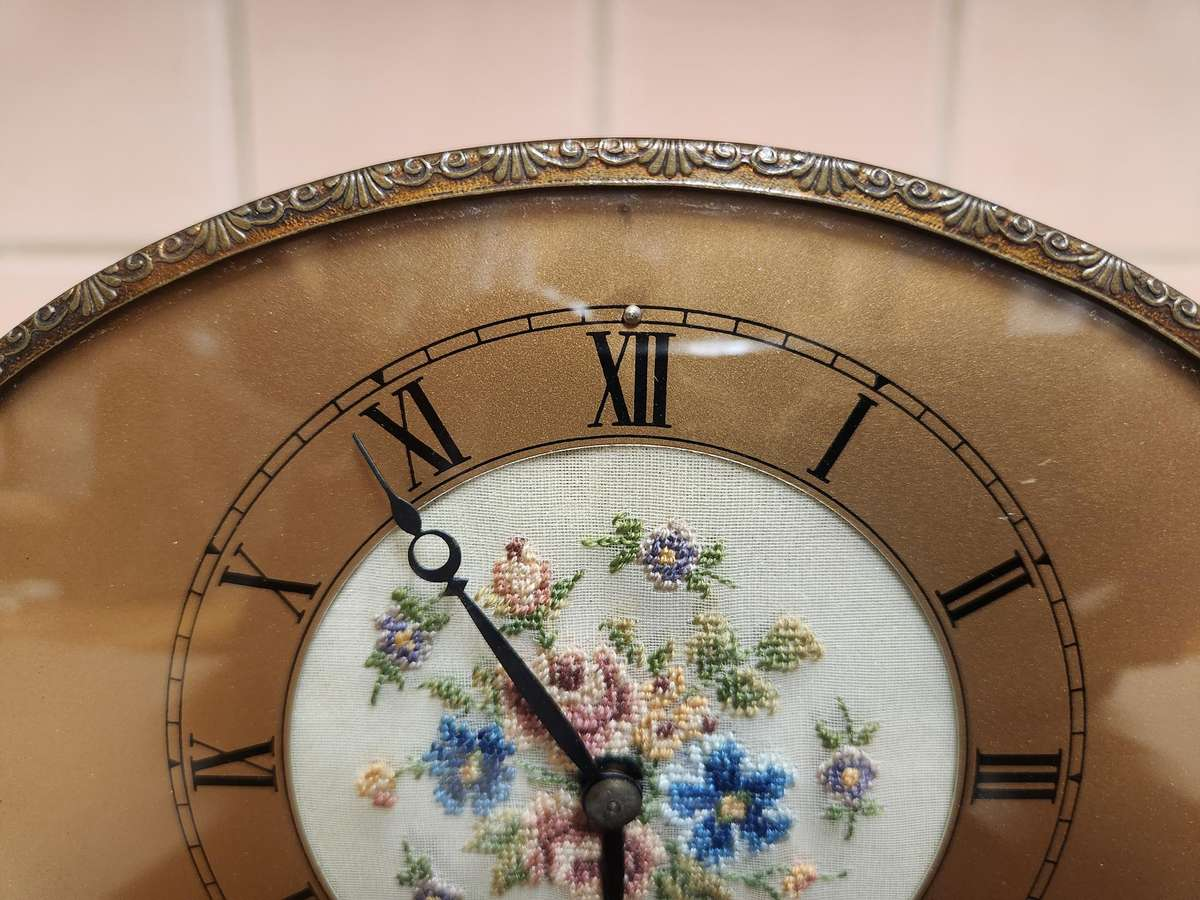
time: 5:53
